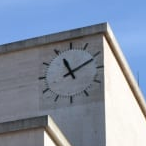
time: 11:10
